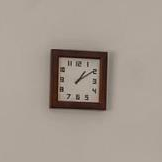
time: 1:09
